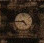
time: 4:44
